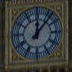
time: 12:07
